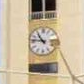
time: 10:46
